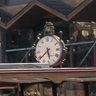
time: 5:38
